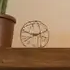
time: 2:48
